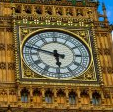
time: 5:47
